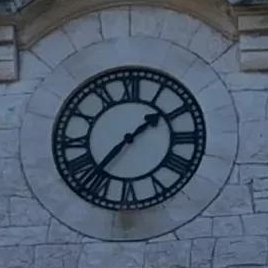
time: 1:36
